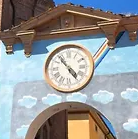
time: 4:53
